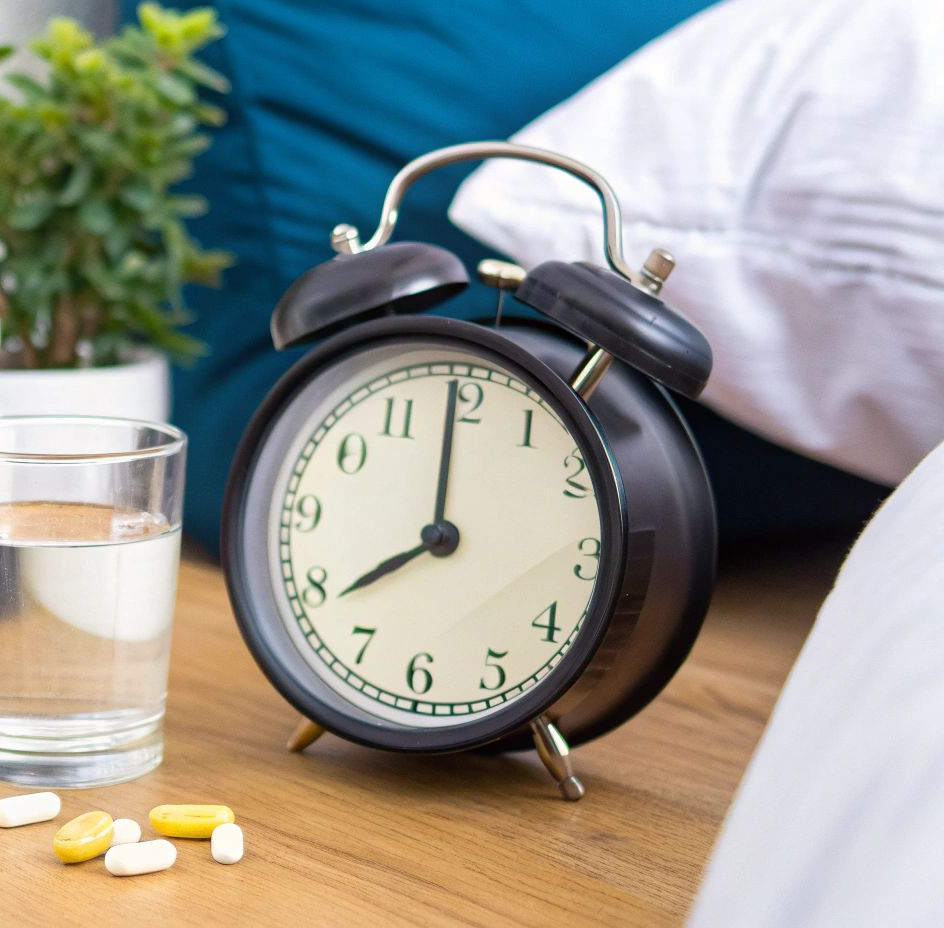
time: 7:59
